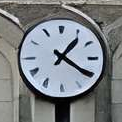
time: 1:20
